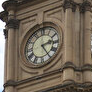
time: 2:24
